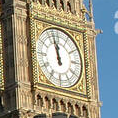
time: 11:57
